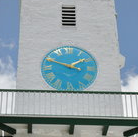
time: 1:48
